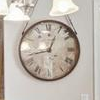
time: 12:43
